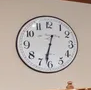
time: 6:32
